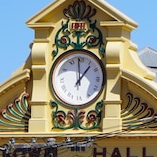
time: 12:59
